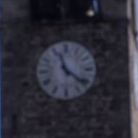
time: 11:21
